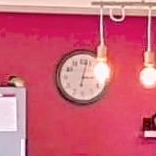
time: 3:02
